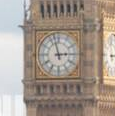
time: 2:57
